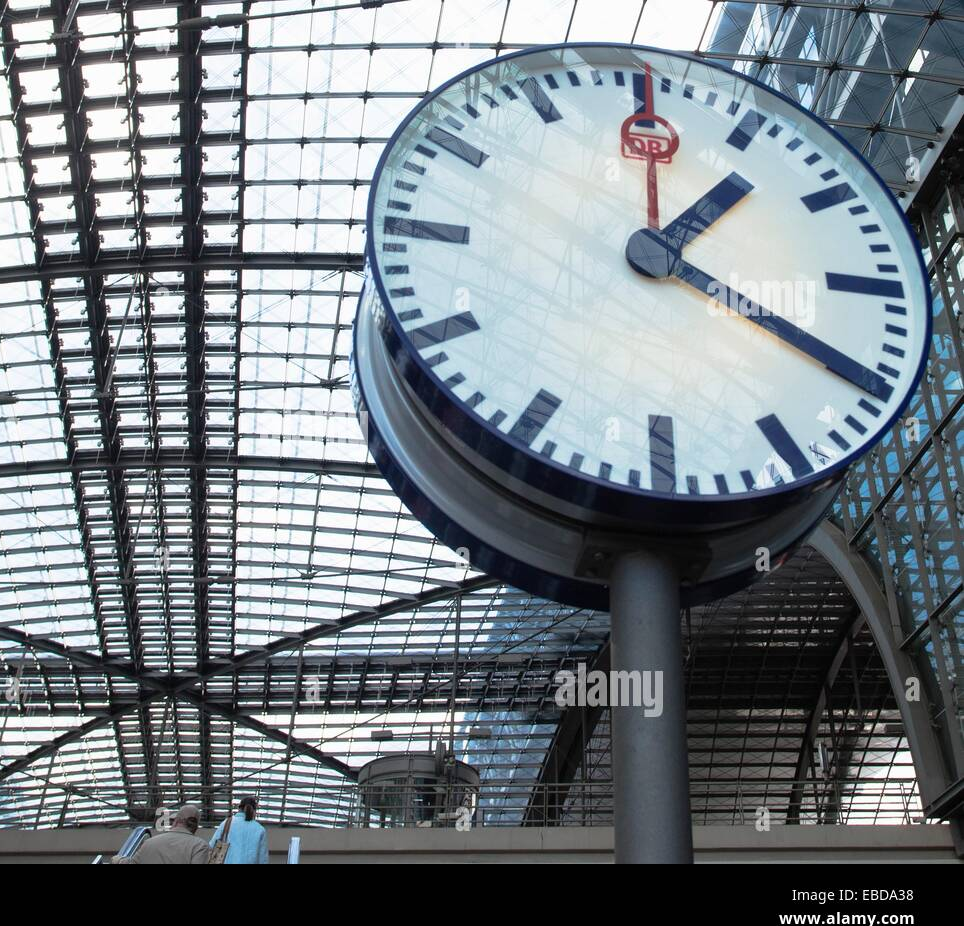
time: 1:19
